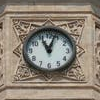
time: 11:03
